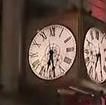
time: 6:28
